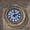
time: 12:11
